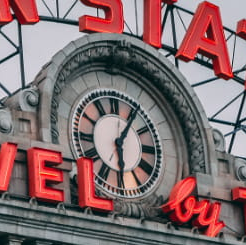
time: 6:05
